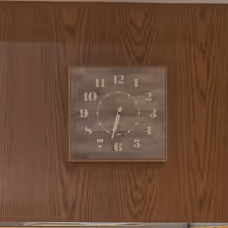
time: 6:32
